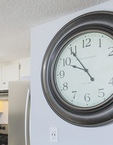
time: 9:54
